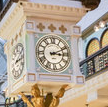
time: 3:11
